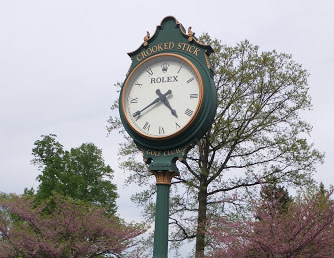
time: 4:39
